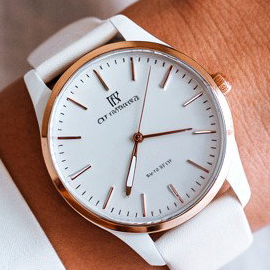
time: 2:32
